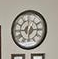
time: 6:14
